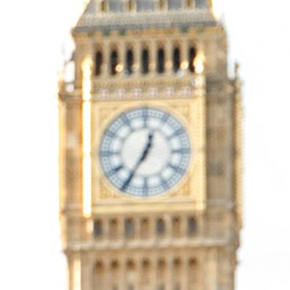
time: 12:35
